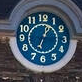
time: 1:02
